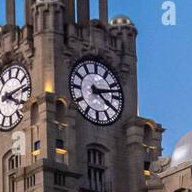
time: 4:12
